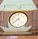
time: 4:38
